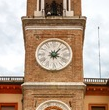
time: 1:18
